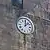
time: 12:07
